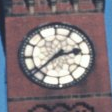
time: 2:38
